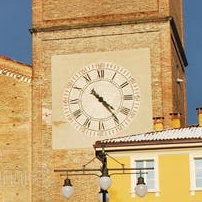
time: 4:23
